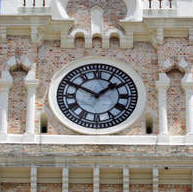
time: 1:49
